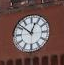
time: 12:51
